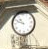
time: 10:48
